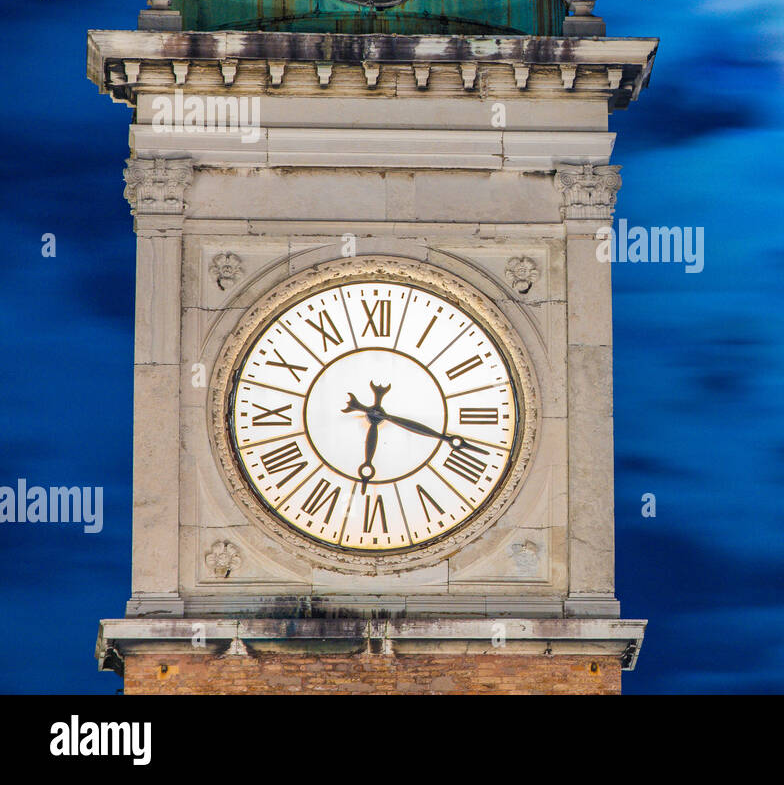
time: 6:18
